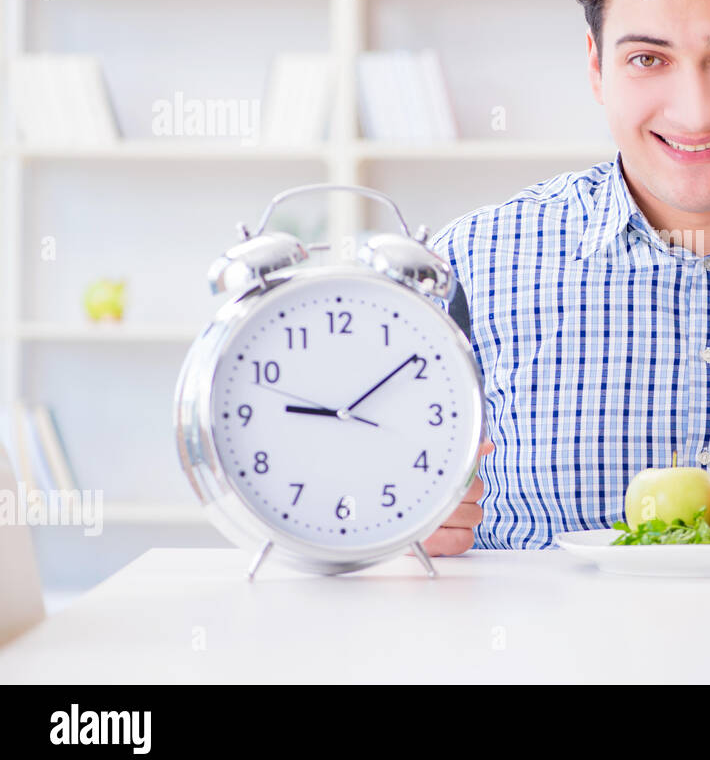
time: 9:09
